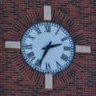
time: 2:34
